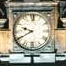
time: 9:40
